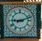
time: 9:11
